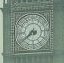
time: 7:38
